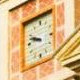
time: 9:47
